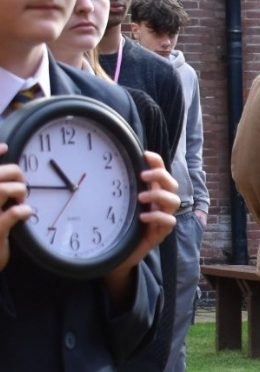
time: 10:45
